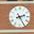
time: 2:25
